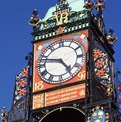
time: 4:47
